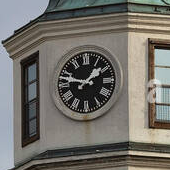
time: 1:47
